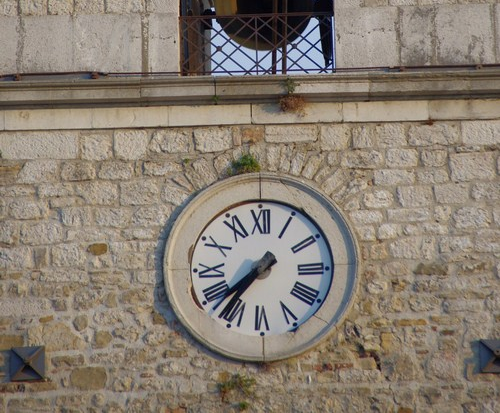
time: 7:36
